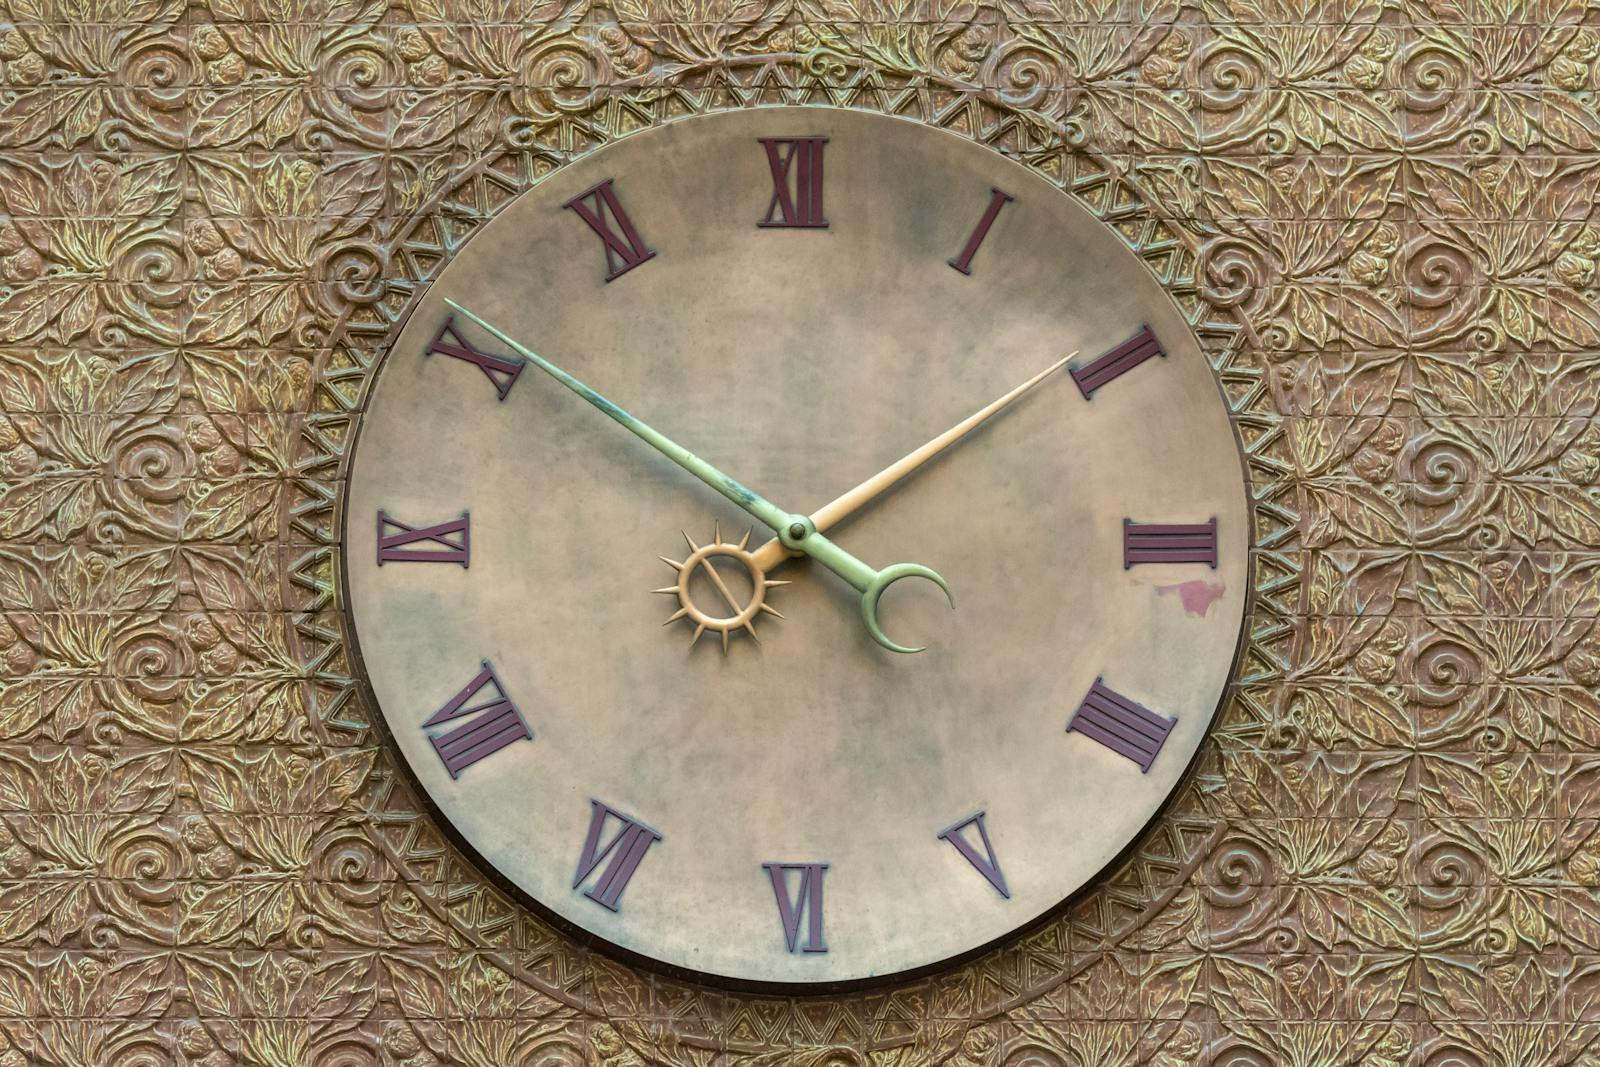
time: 1:50
